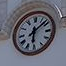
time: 6:08
